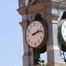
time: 2:13
